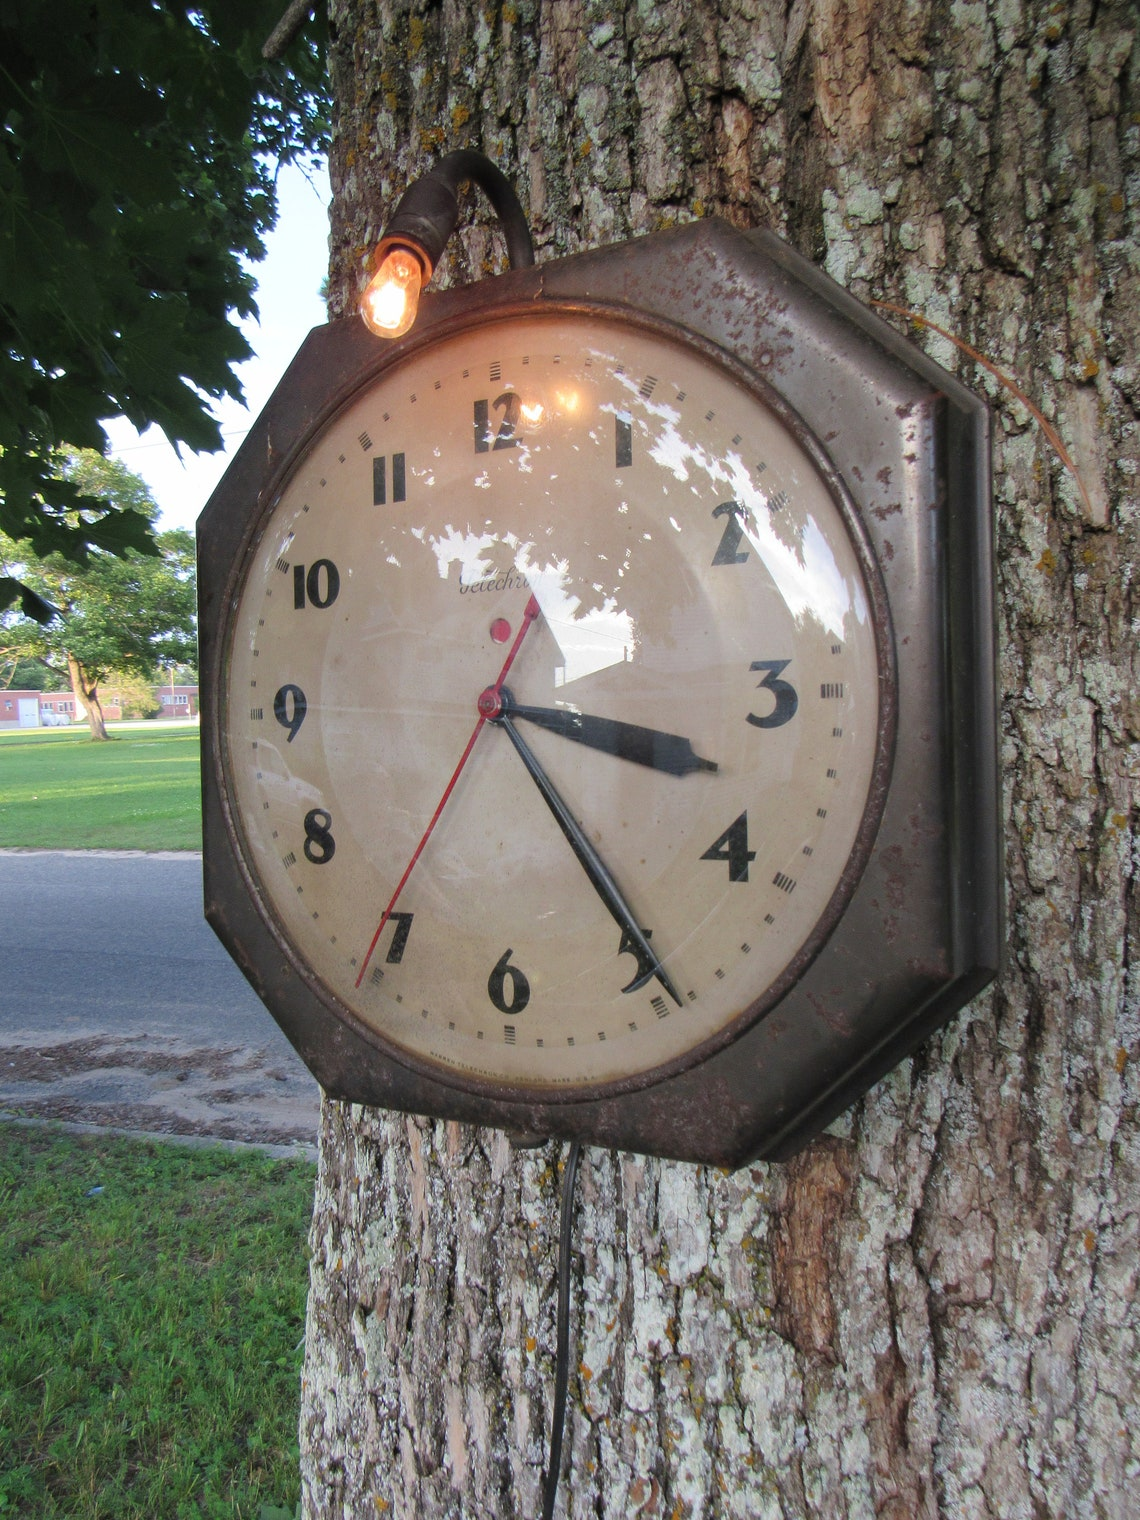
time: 3:24
